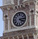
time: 4:13
